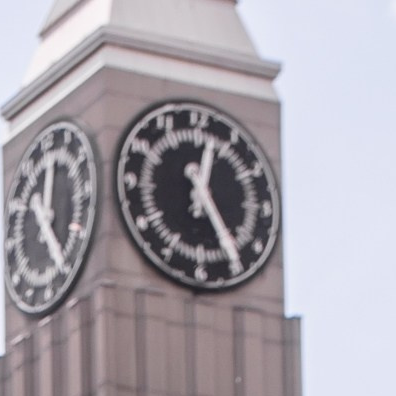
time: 12:24
